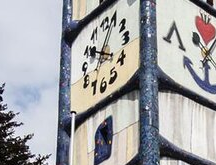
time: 10:03
